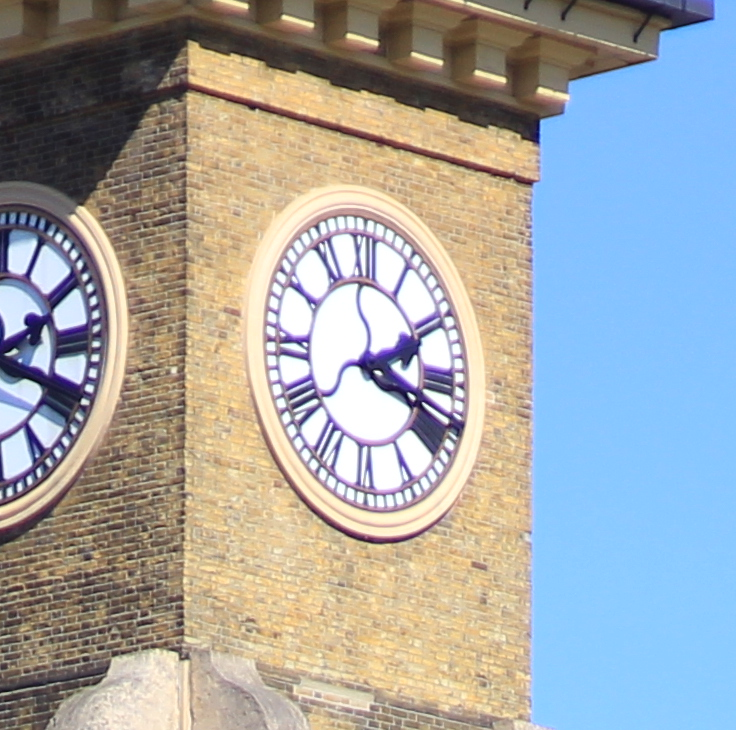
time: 2:18
